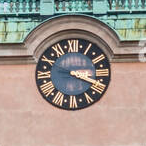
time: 3:18
